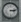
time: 3:12
